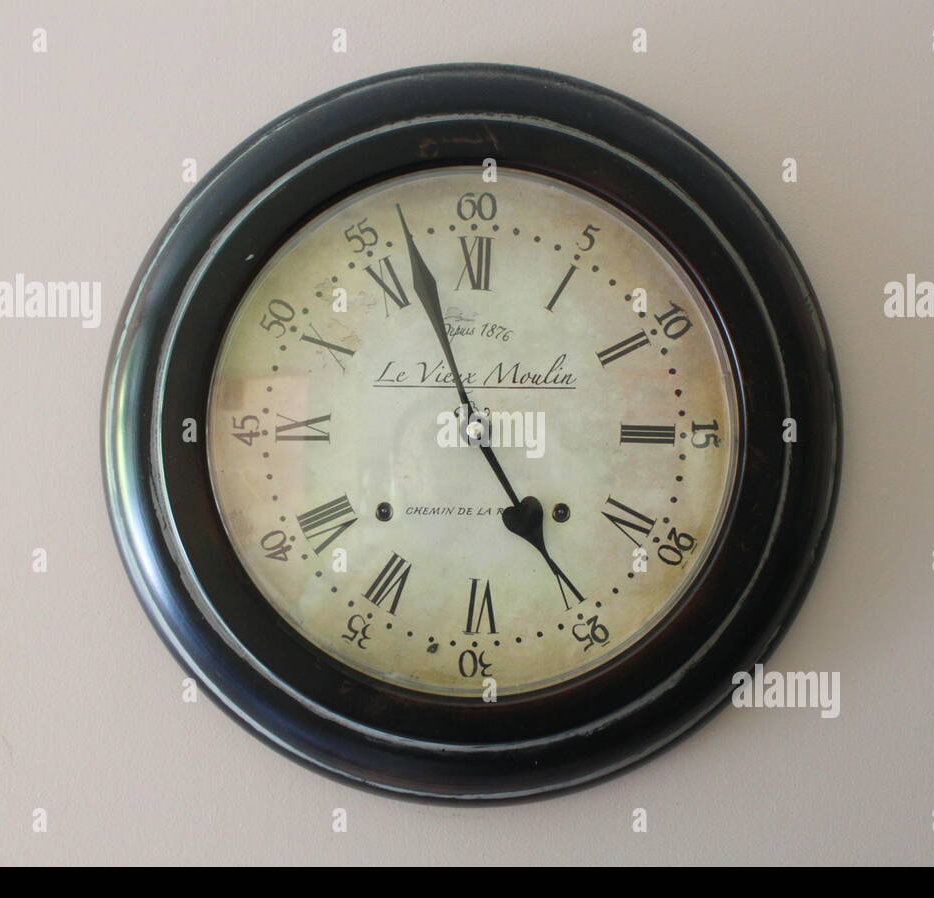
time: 4:56
